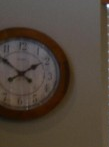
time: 1:51
